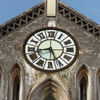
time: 8:25
